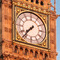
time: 7:36
